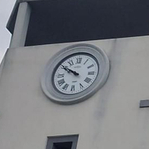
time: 9:50
